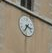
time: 3:34
